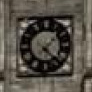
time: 1:22
